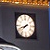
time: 7:41
